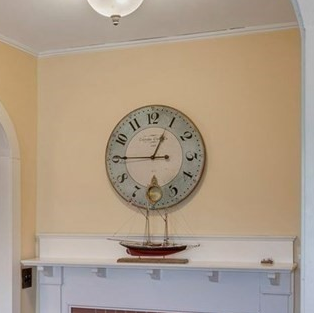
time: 12:45
